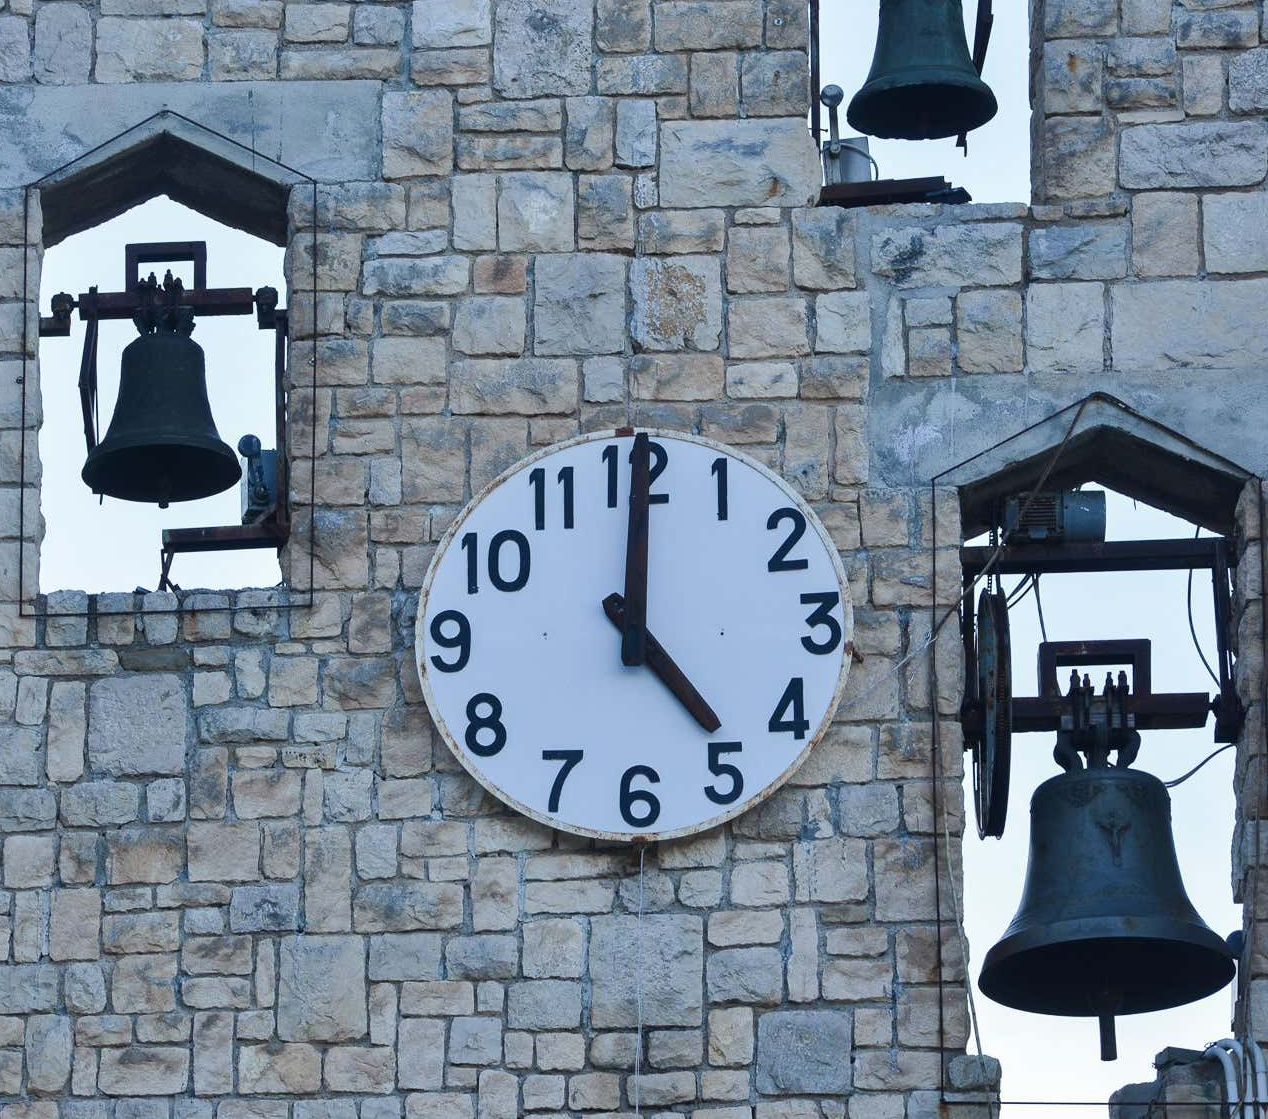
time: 5:00
